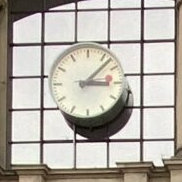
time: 3:07
